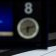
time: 6:13
